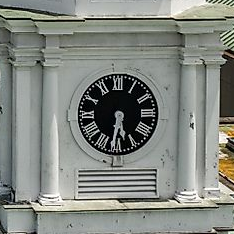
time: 5:31
